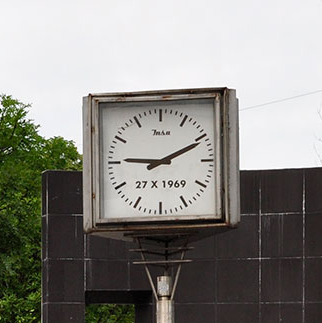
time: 9:10
